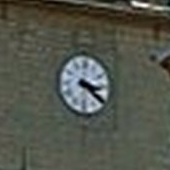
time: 3:21
